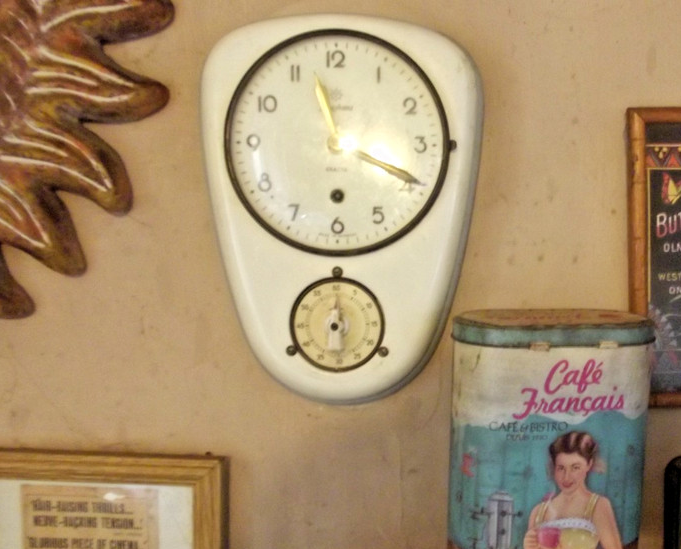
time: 11:19
